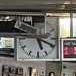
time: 5:18
